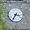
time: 3:35
